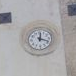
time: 12:18
